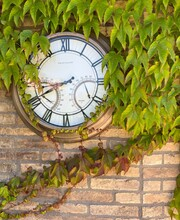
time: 8:40
